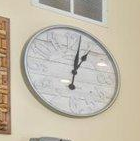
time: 1:02
